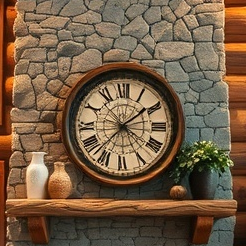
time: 1:36
